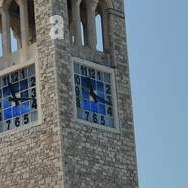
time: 11:17
